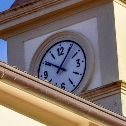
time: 10:05
